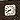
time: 8:40
